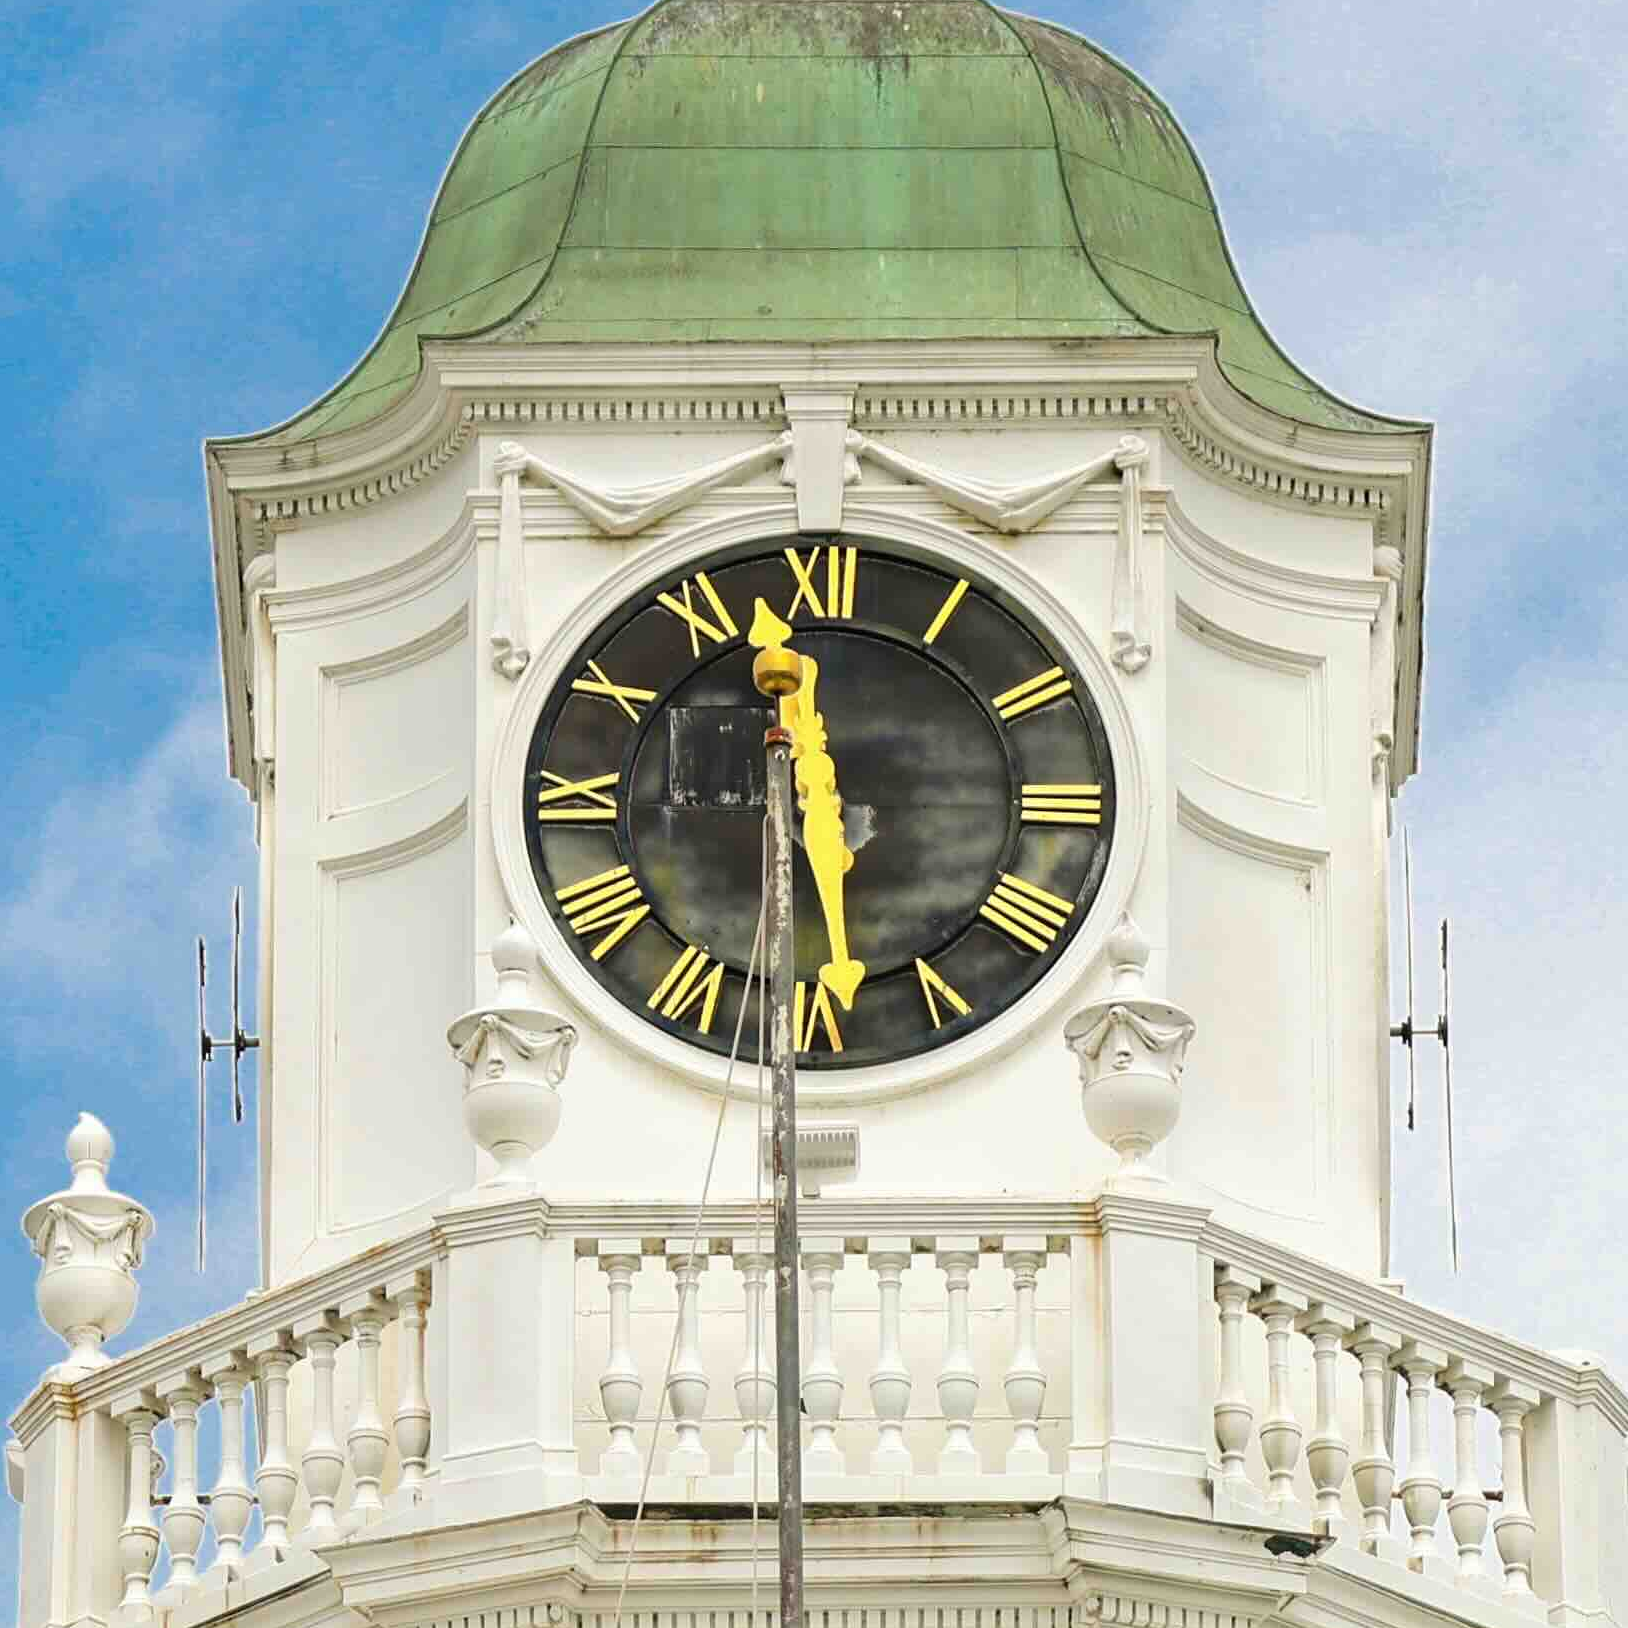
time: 11:28
